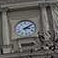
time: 3:09
